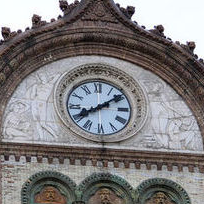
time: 8:09
